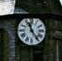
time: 11:24
